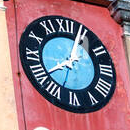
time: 8:03
